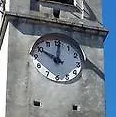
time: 10:00
